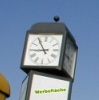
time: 8:54
